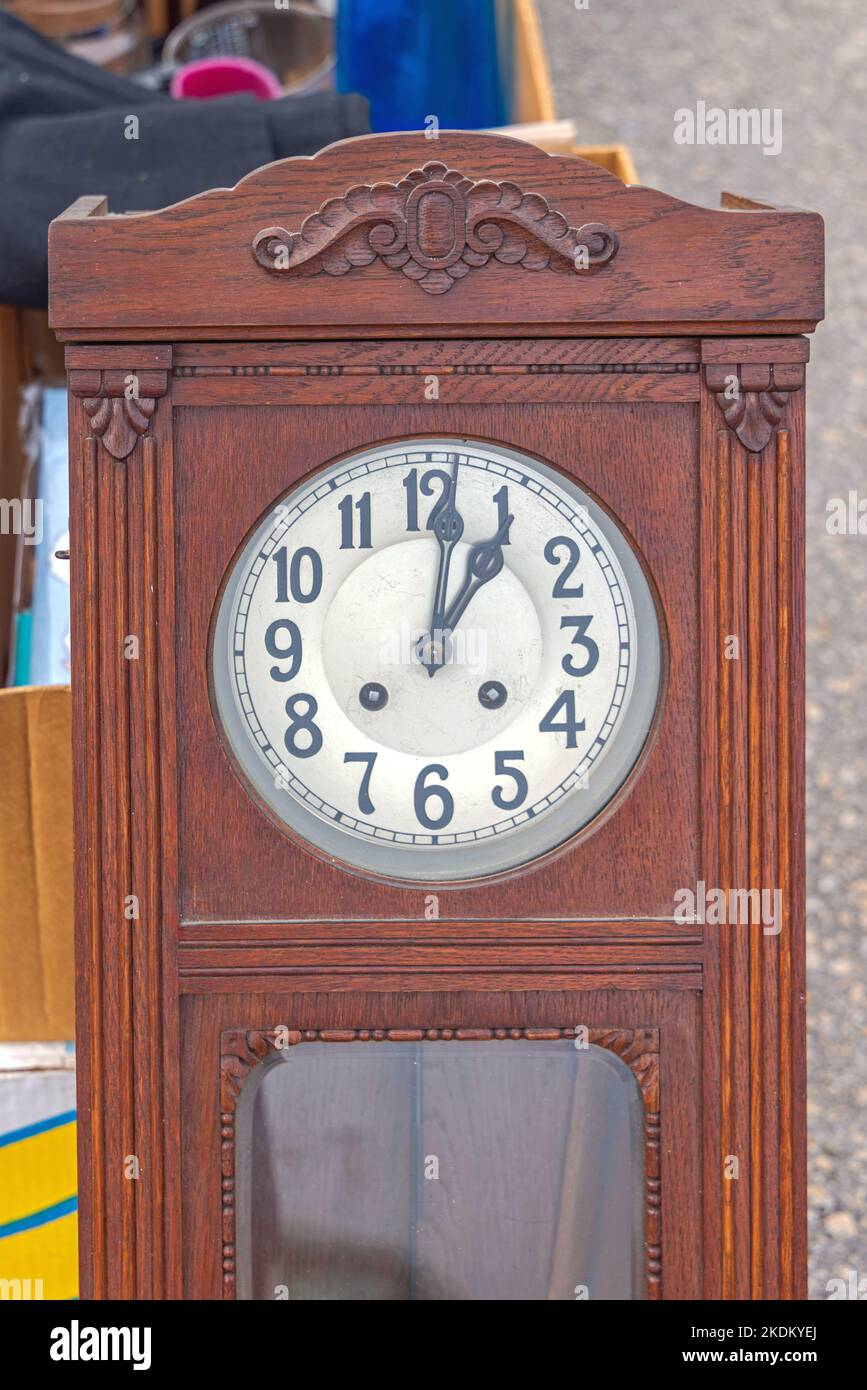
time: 1:01
